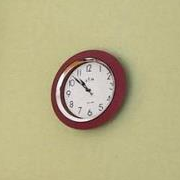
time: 10:52
